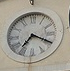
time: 7:19
